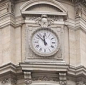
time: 11:52
